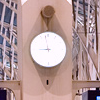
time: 8:58
